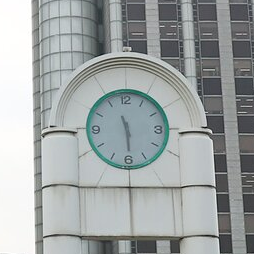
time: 11:29
